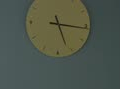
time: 5:15
